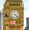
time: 4:22
